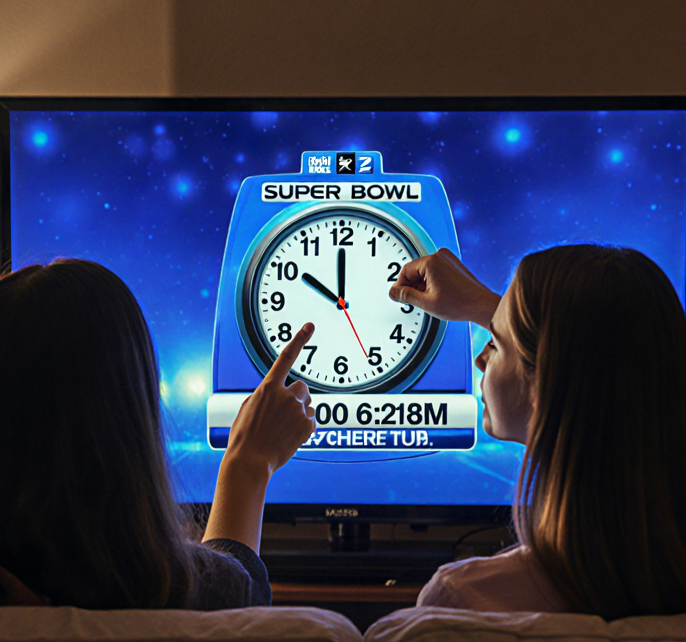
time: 10:00
